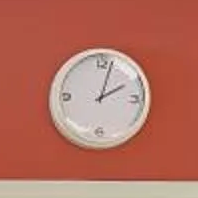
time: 2:02
